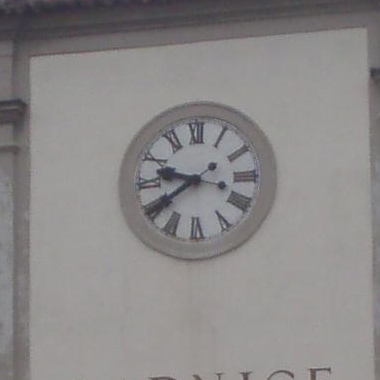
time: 9:39
